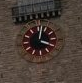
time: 4:02
